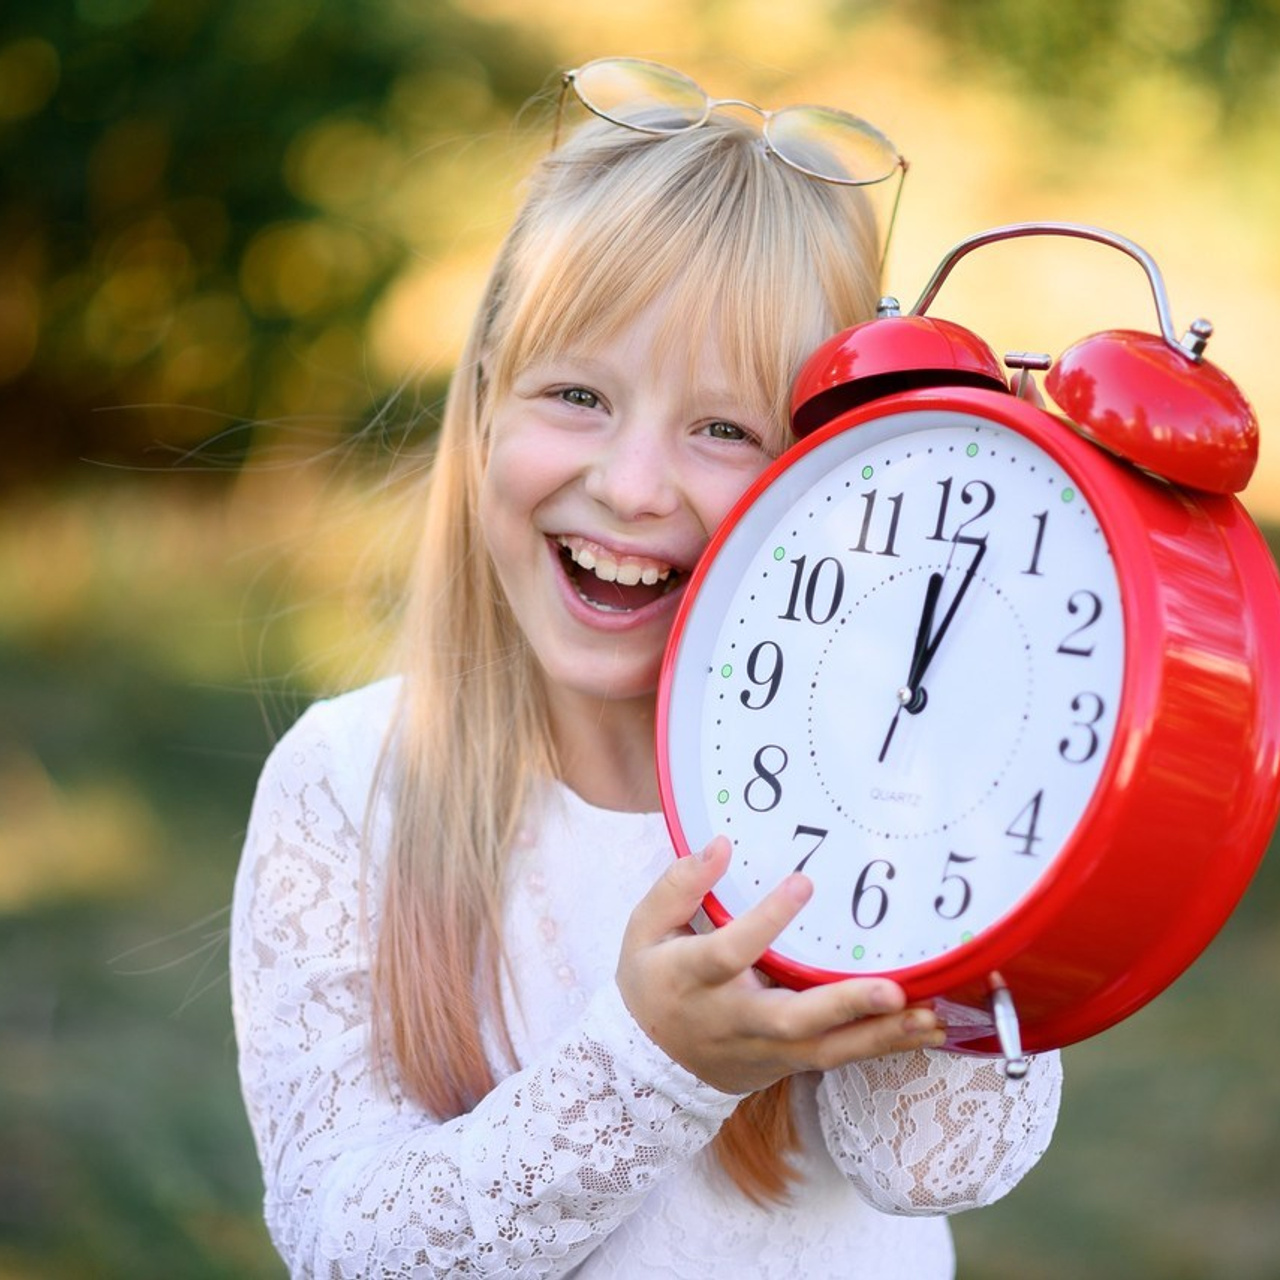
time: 12:02
